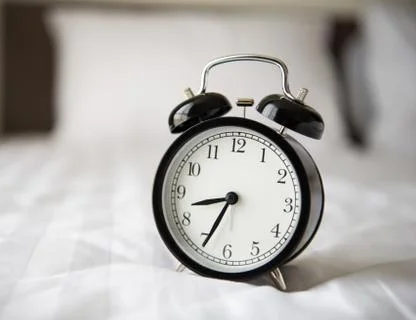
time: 8:34
